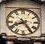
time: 8:24
